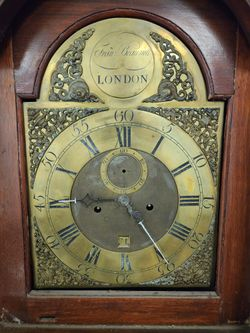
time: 4:45
